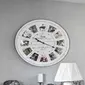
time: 10:18
